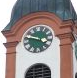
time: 3:46
